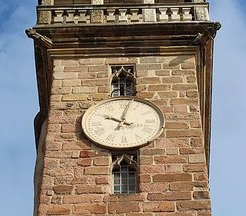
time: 10:02
